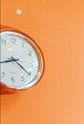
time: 8:20
